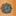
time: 8:02
